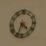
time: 4:33
